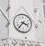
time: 3:36
